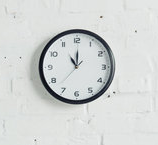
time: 11:00
